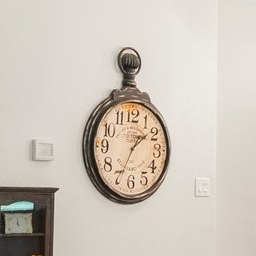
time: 1:34
